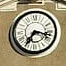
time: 7:17
